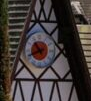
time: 10:41
